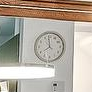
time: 7:59
